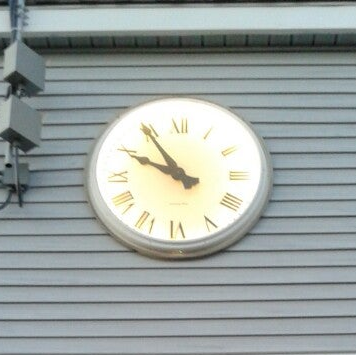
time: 9:54
